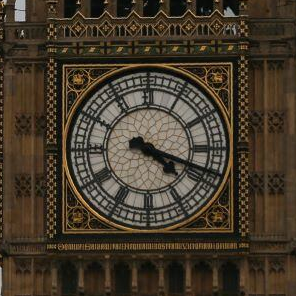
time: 4:18
